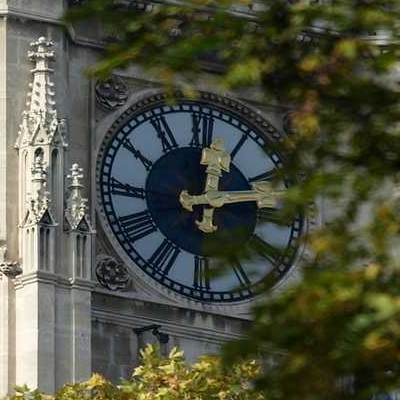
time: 12:12
